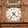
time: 4:35
